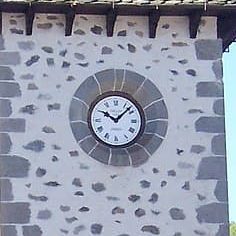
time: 10:07
